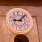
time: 9:07
